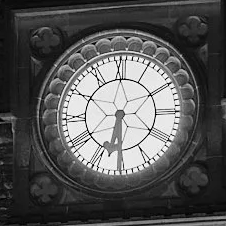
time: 6:30
